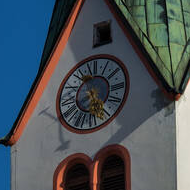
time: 5:26
